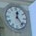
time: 12:23
